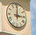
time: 3:01
